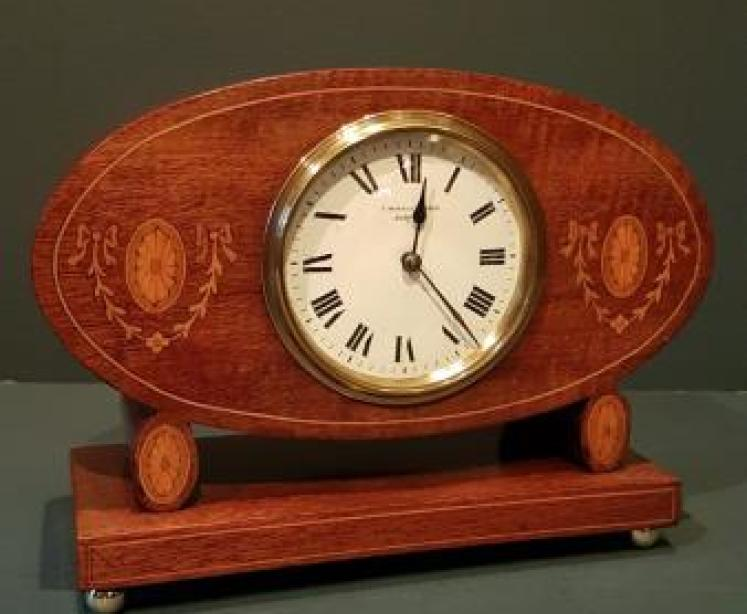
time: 12:23
